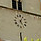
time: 5:04
